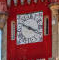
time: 3:49
